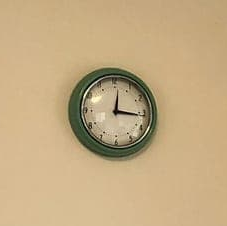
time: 12:16
